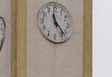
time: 11:23
